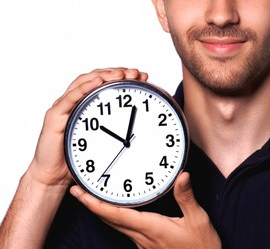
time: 10:02
